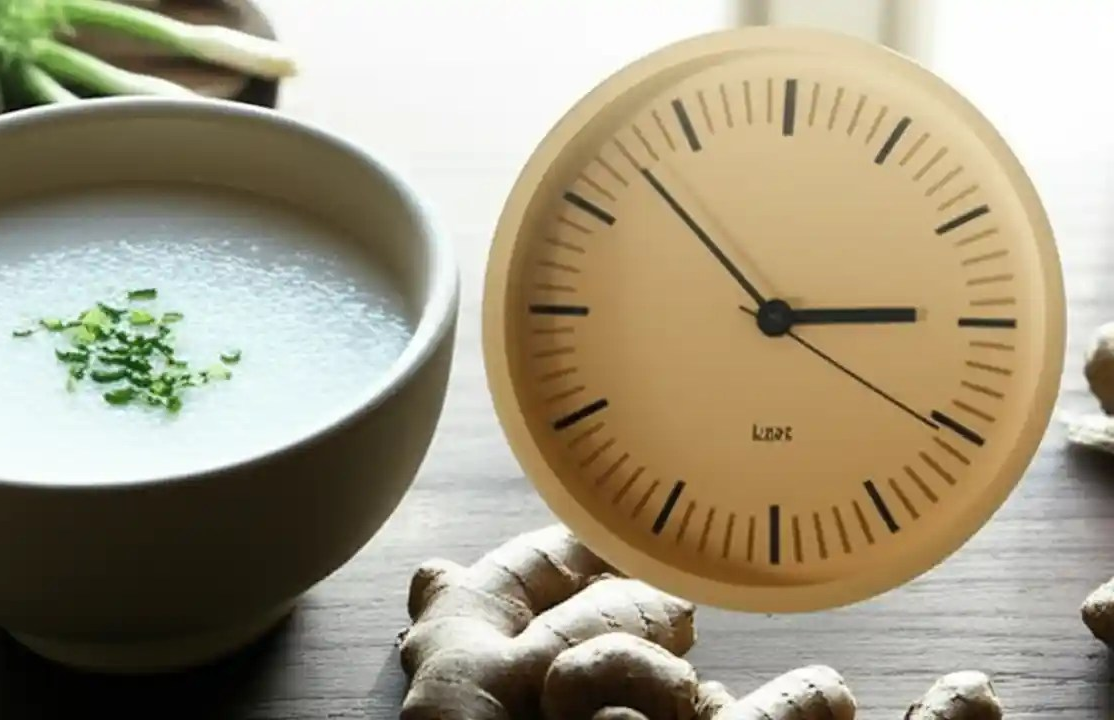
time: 2:52
